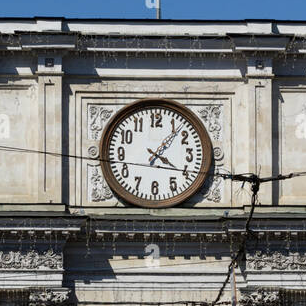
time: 4:06
